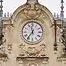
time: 11:36
